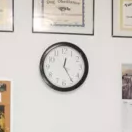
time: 12:24
